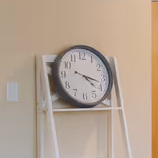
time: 4:17
